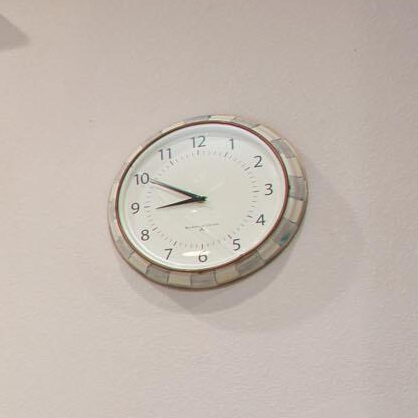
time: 8:50
